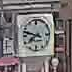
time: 7:47
